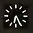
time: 6:25
